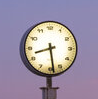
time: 8:28
